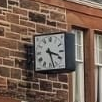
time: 3:27
